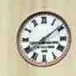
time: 8:08
